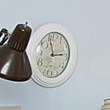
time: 2:56
